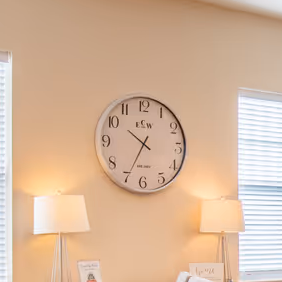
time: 10:34
